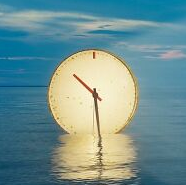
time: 10:28
